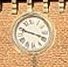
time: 3:48
